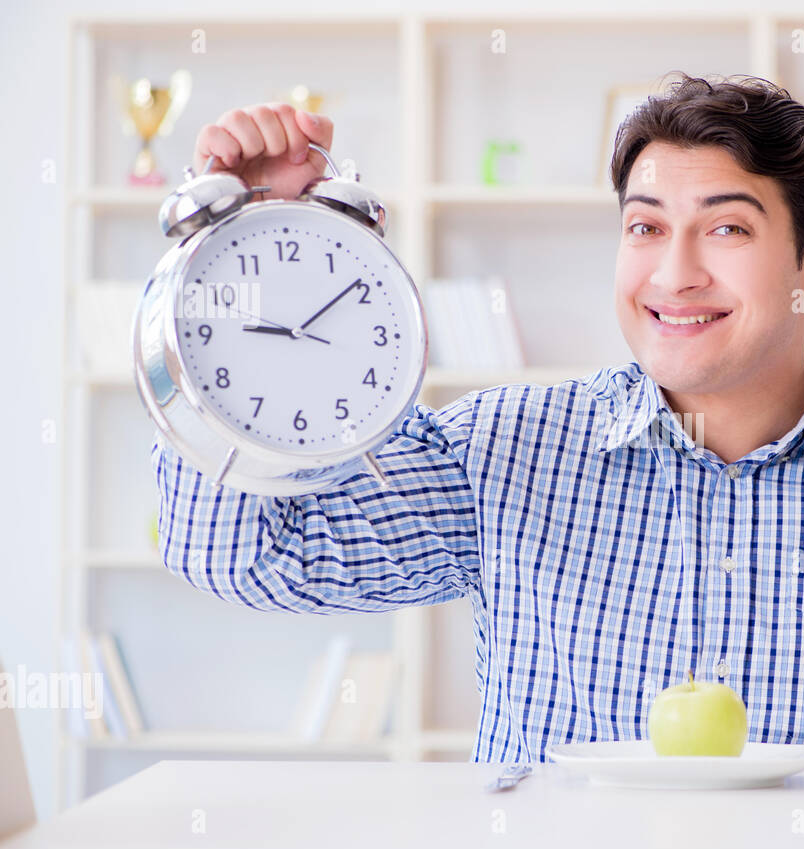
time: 9:09
